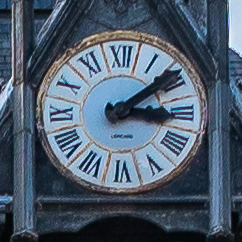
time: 3:09
